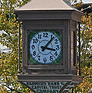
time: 3:06
